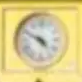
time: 4:49
